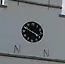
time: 3:48
